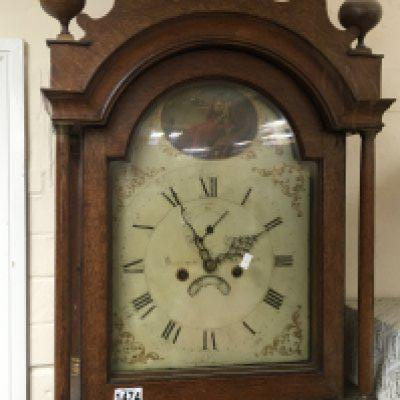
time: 11:10
